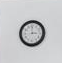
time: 2:59
